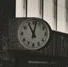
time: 11:02
